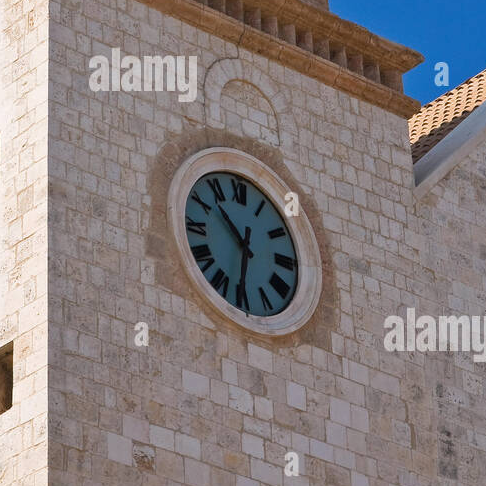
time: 10:32
